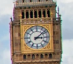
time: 3:08
